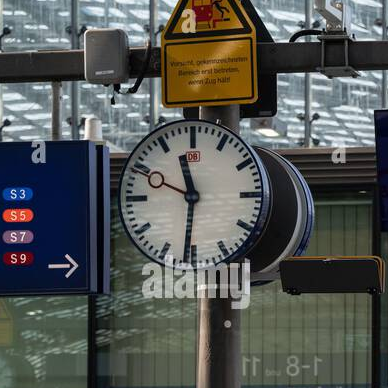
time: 11:31
